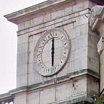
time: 6:00
